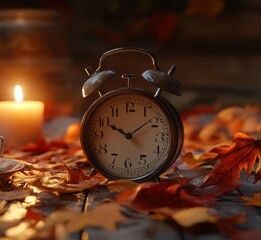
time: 10:08
